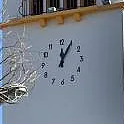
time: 12:05
